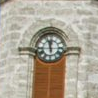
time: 11:57
